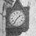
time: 1:36
